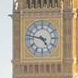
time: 4:47
